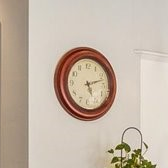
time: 5:12
